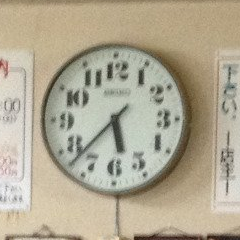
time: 5:37
